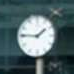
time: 1:46
